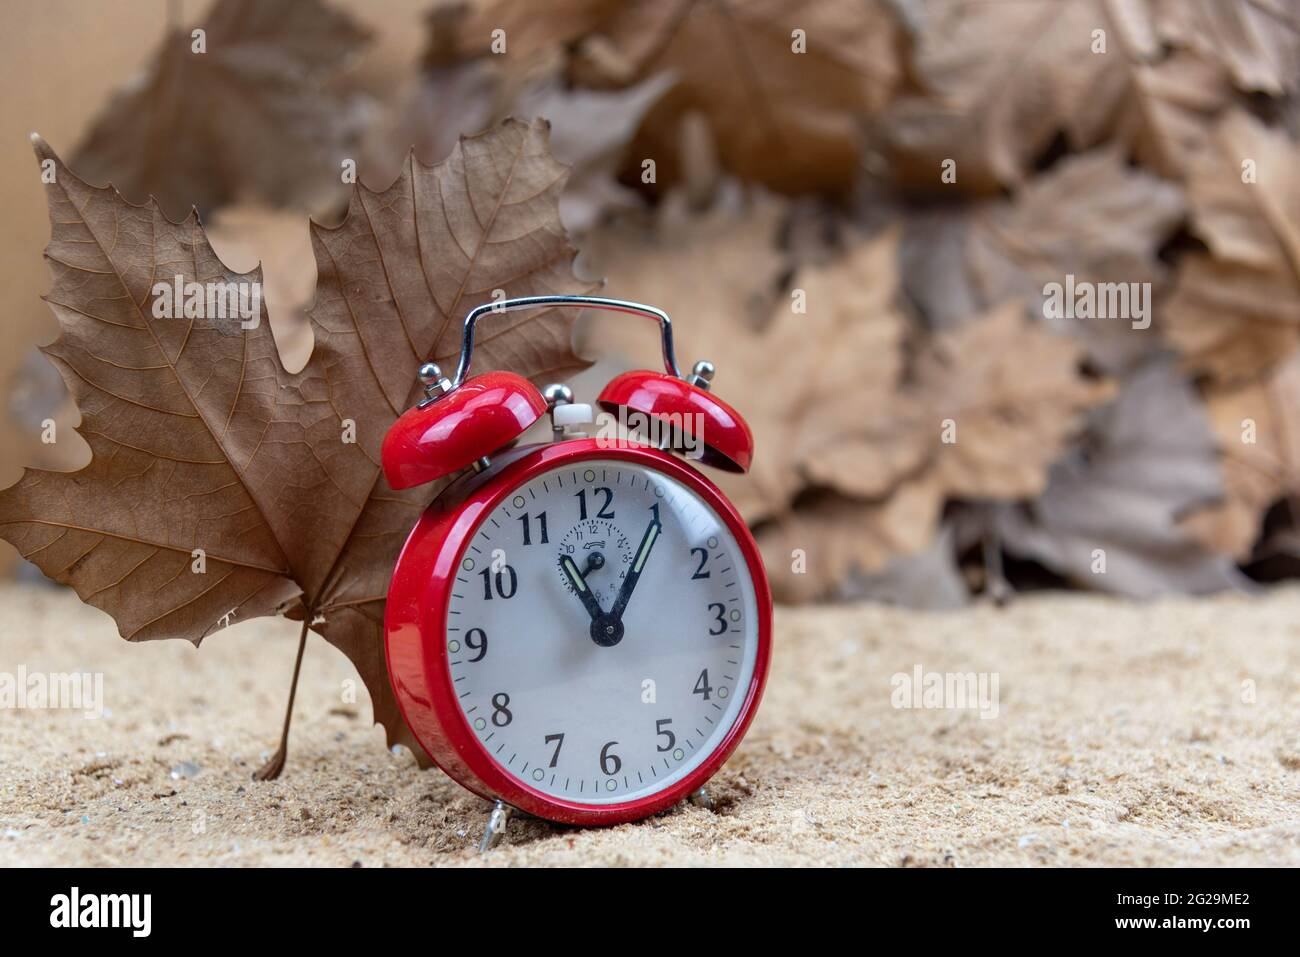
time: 11:04
